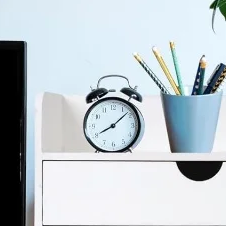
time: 8:08
